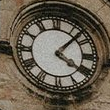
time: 4:07
